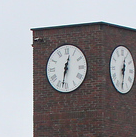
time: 12:32
